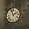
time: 1:56
